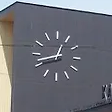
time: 12:42
